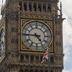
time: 4:45
